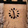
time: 11:28
